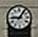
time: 9:05
